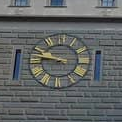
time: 9:15
